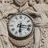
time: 6:15
